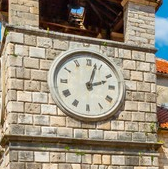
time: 2:02
